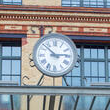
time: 2:52
